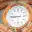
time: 8:45
